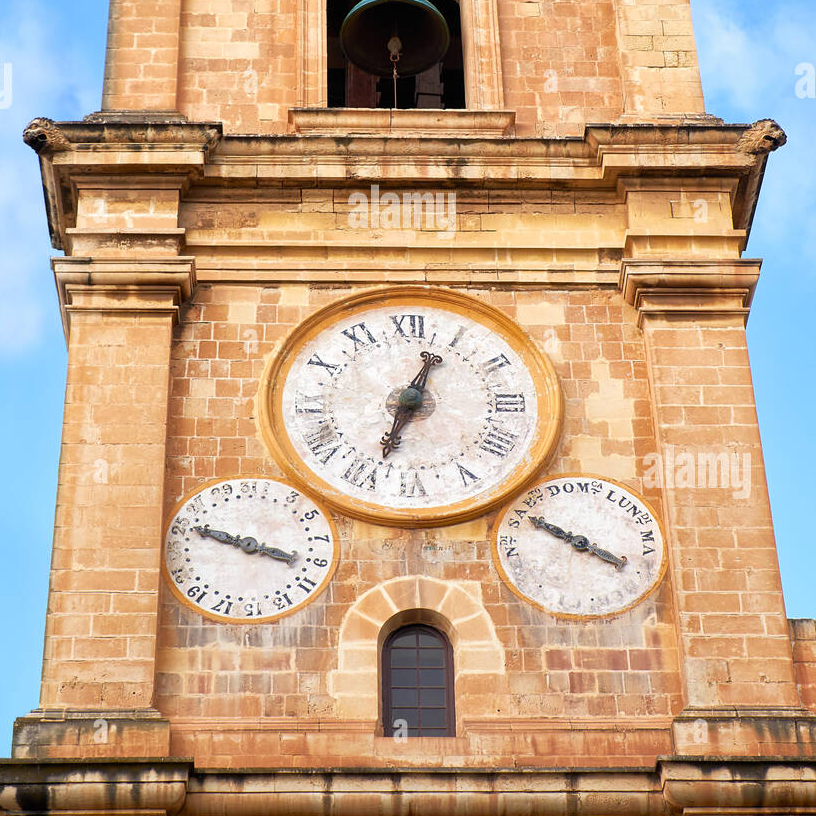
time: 12:33
